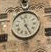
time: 11:25
